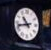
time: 10:42
